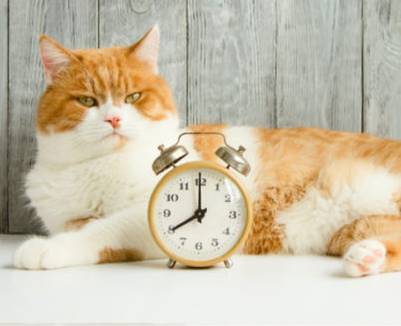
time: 8:00
